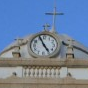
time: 4:56
